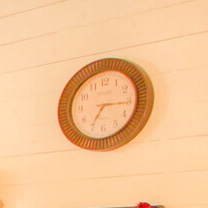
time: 7:15
